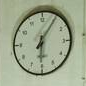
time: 6:05
